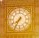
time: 7:35
